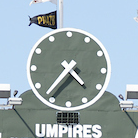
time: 4:36
